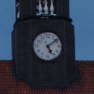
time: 5:08
